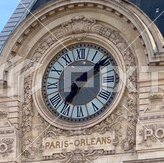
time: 7:09
